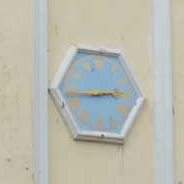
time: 2:43
